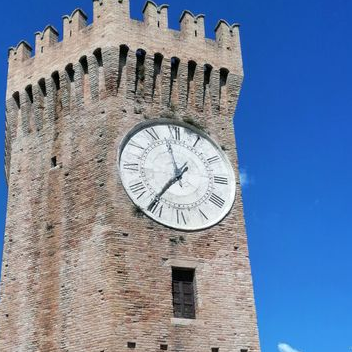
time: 11:36
